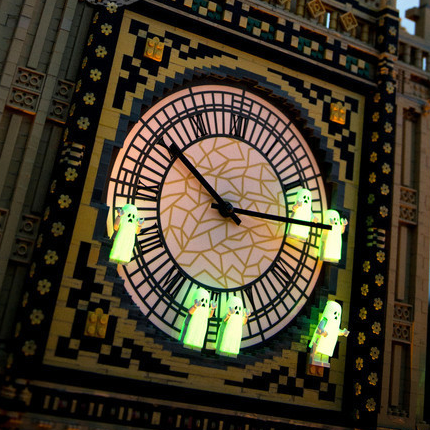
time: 10:14
